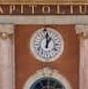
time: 1:01
